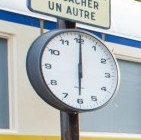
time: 6:00
